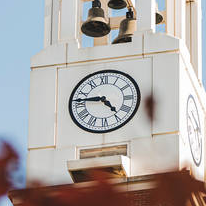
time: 4:46
